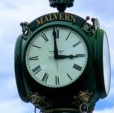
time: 2:59
